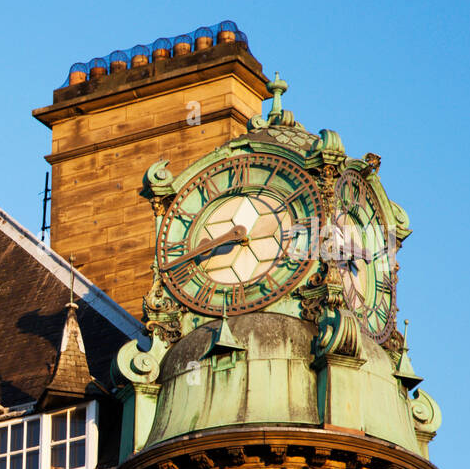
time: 8:42
